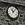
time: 11:07
